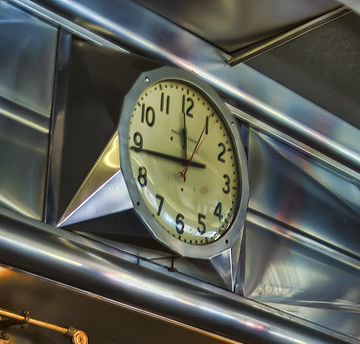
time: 11:43
